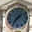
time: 1:36
